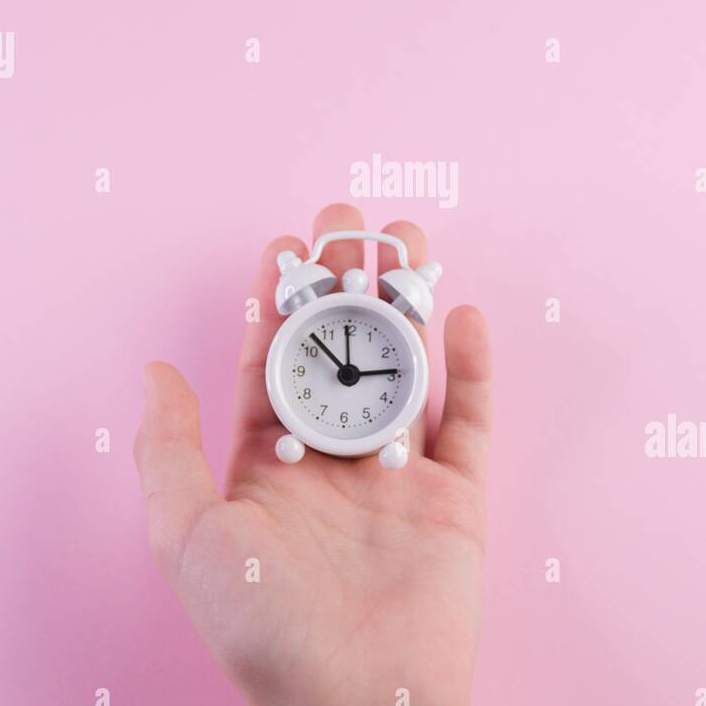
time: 2:52
